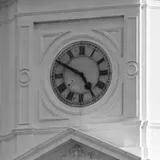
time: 4:49
